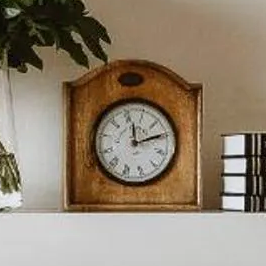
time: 12:13
